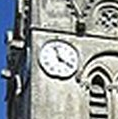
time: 3:57
